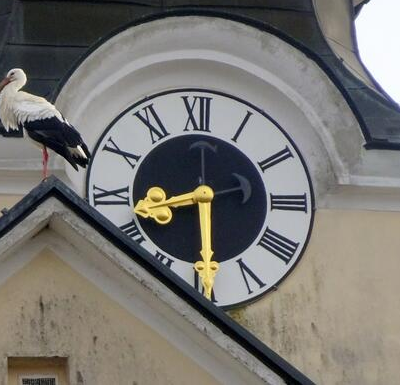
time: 8:30
